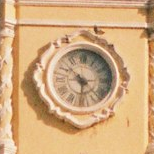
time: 10:30
